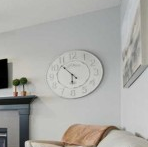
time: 5:52
